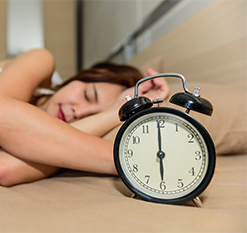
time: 5:59
